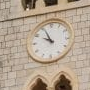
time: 9:55
